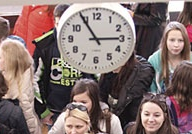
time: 2:54
